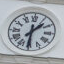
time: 1:30
